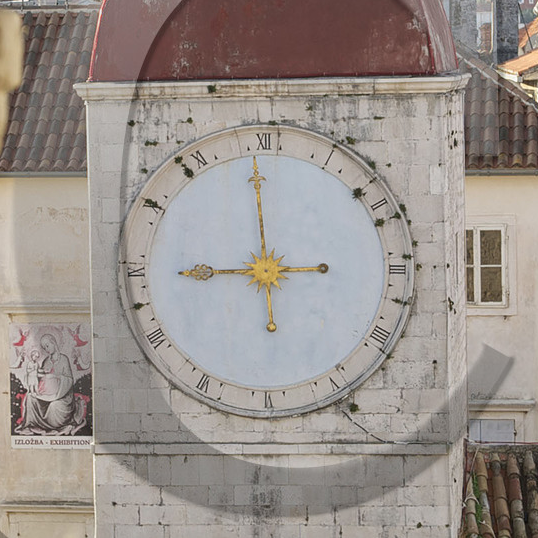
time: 8:59
